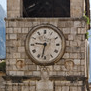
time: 9:32
